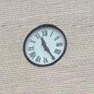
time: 11:24
